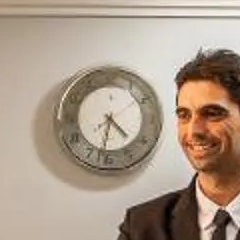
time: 4:31
